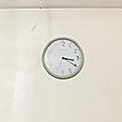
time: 3:20
